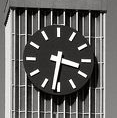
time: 3:31
